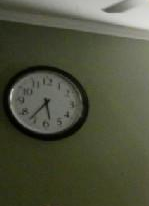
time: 5:36
